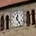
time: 12:24
